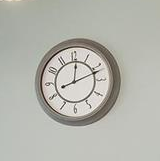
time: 12:11
